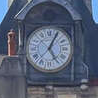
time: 5:04
